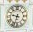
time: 9:33
